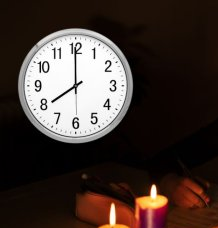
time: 7:59
